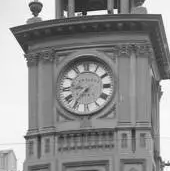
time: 8:36
